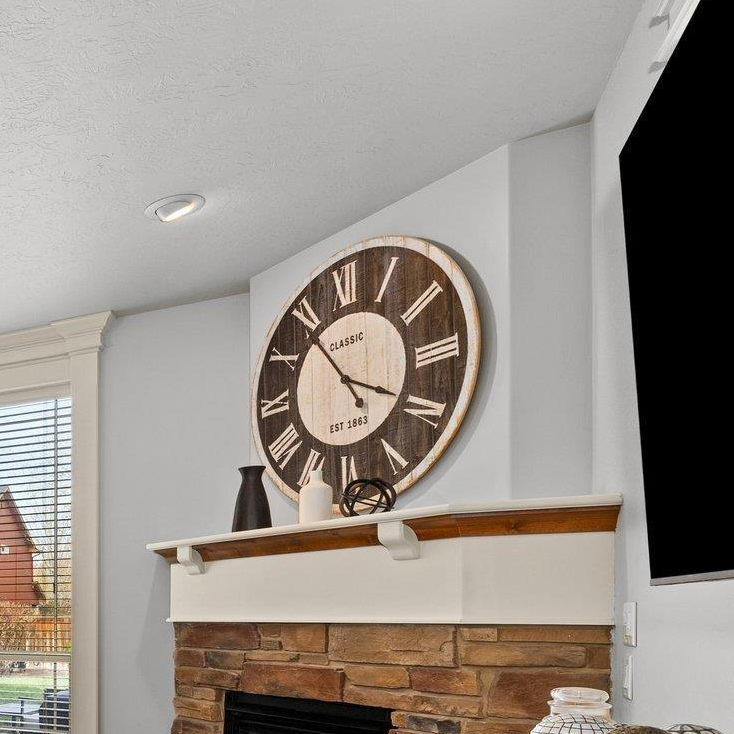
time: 3:54
